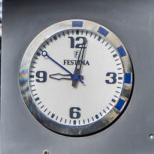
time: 9:01
